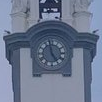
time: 4:58
